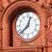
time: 12:37
